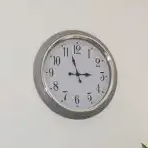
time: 2:56
